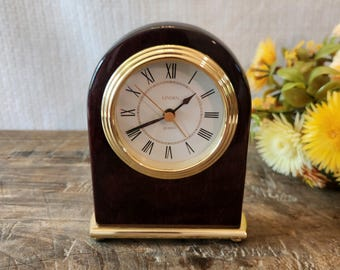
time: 1:40
